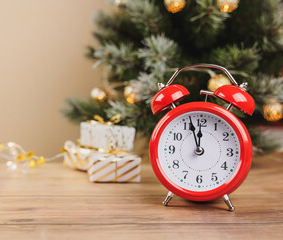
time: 11:56
